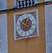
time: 12:49
